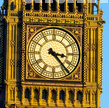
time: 3:23
